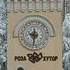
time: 9:30
